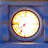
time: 7:34
